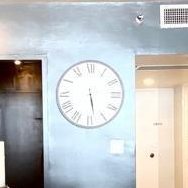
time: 5:28
